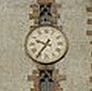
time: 9:36
